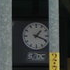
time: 1:18
